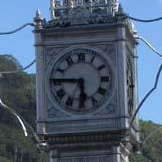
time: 5:45
